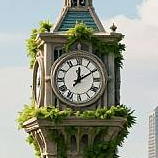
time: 12:09
